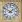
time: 1:50
